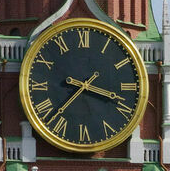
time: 3:37
